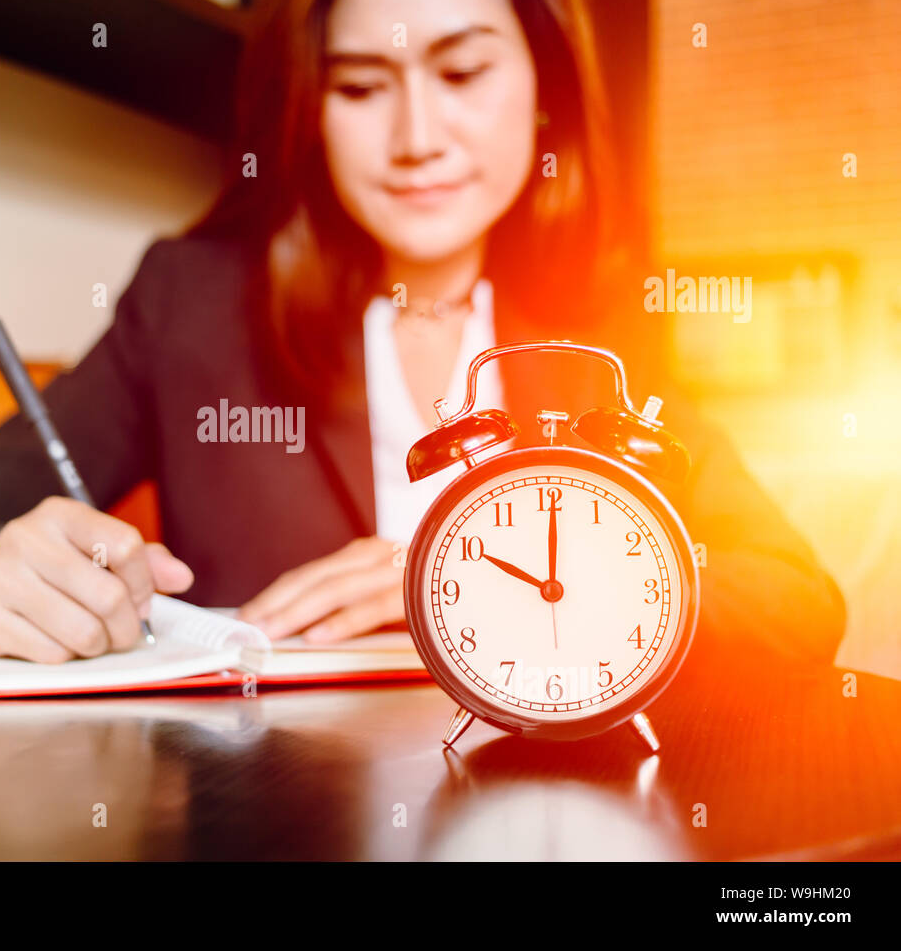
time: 10:00
